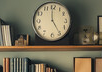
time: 4:59
